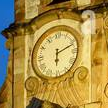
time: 6:11
